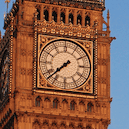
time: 7:37
